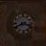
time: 3:40
